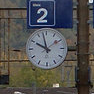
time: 9:57
